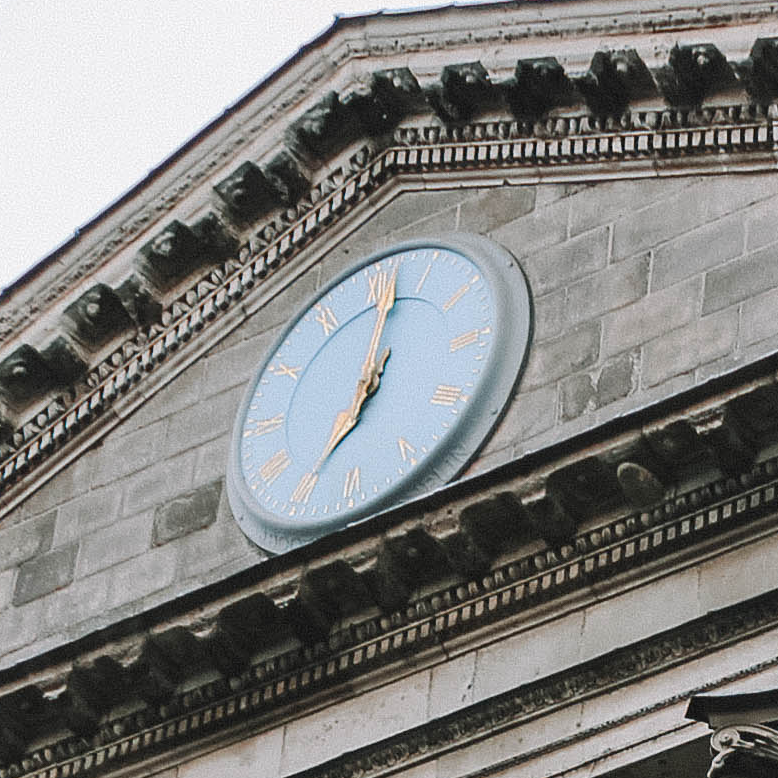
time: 7:01
